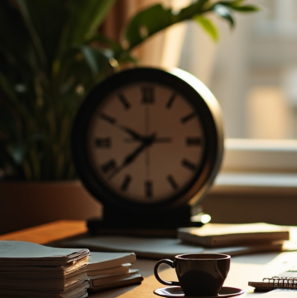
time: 9:37
